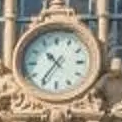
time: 10:36
